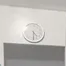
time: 4:30
